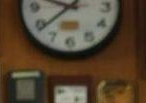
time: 9:38
